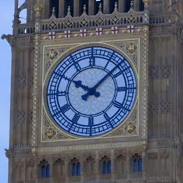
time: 10:07
